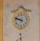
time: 9:48
